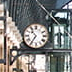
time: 10:35
